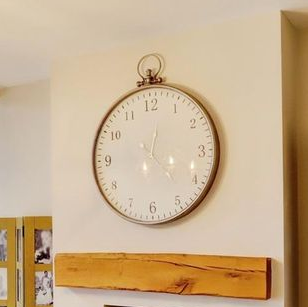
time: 12:23
